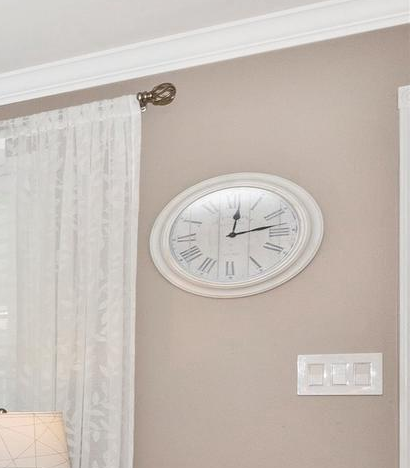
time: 12:13
